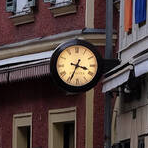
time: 3:34
